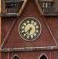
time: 6:38
